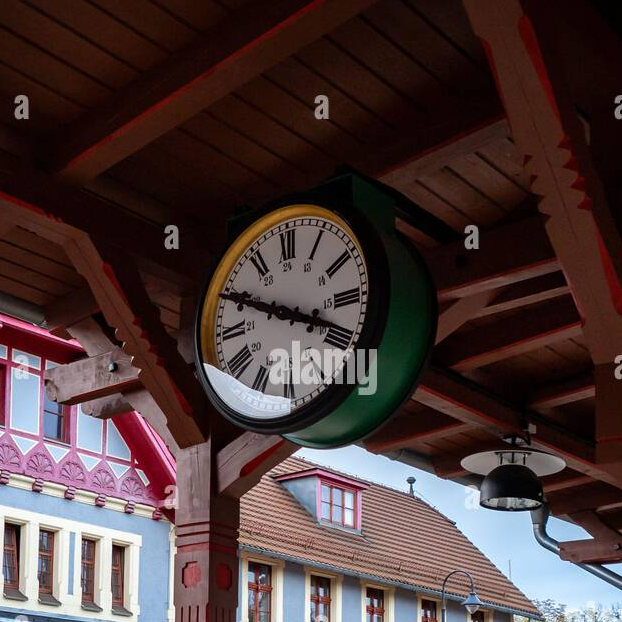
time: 3:49
